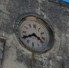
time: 3:40
